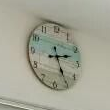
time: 2:25
